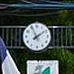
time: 1:55
